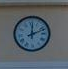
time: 12:11
